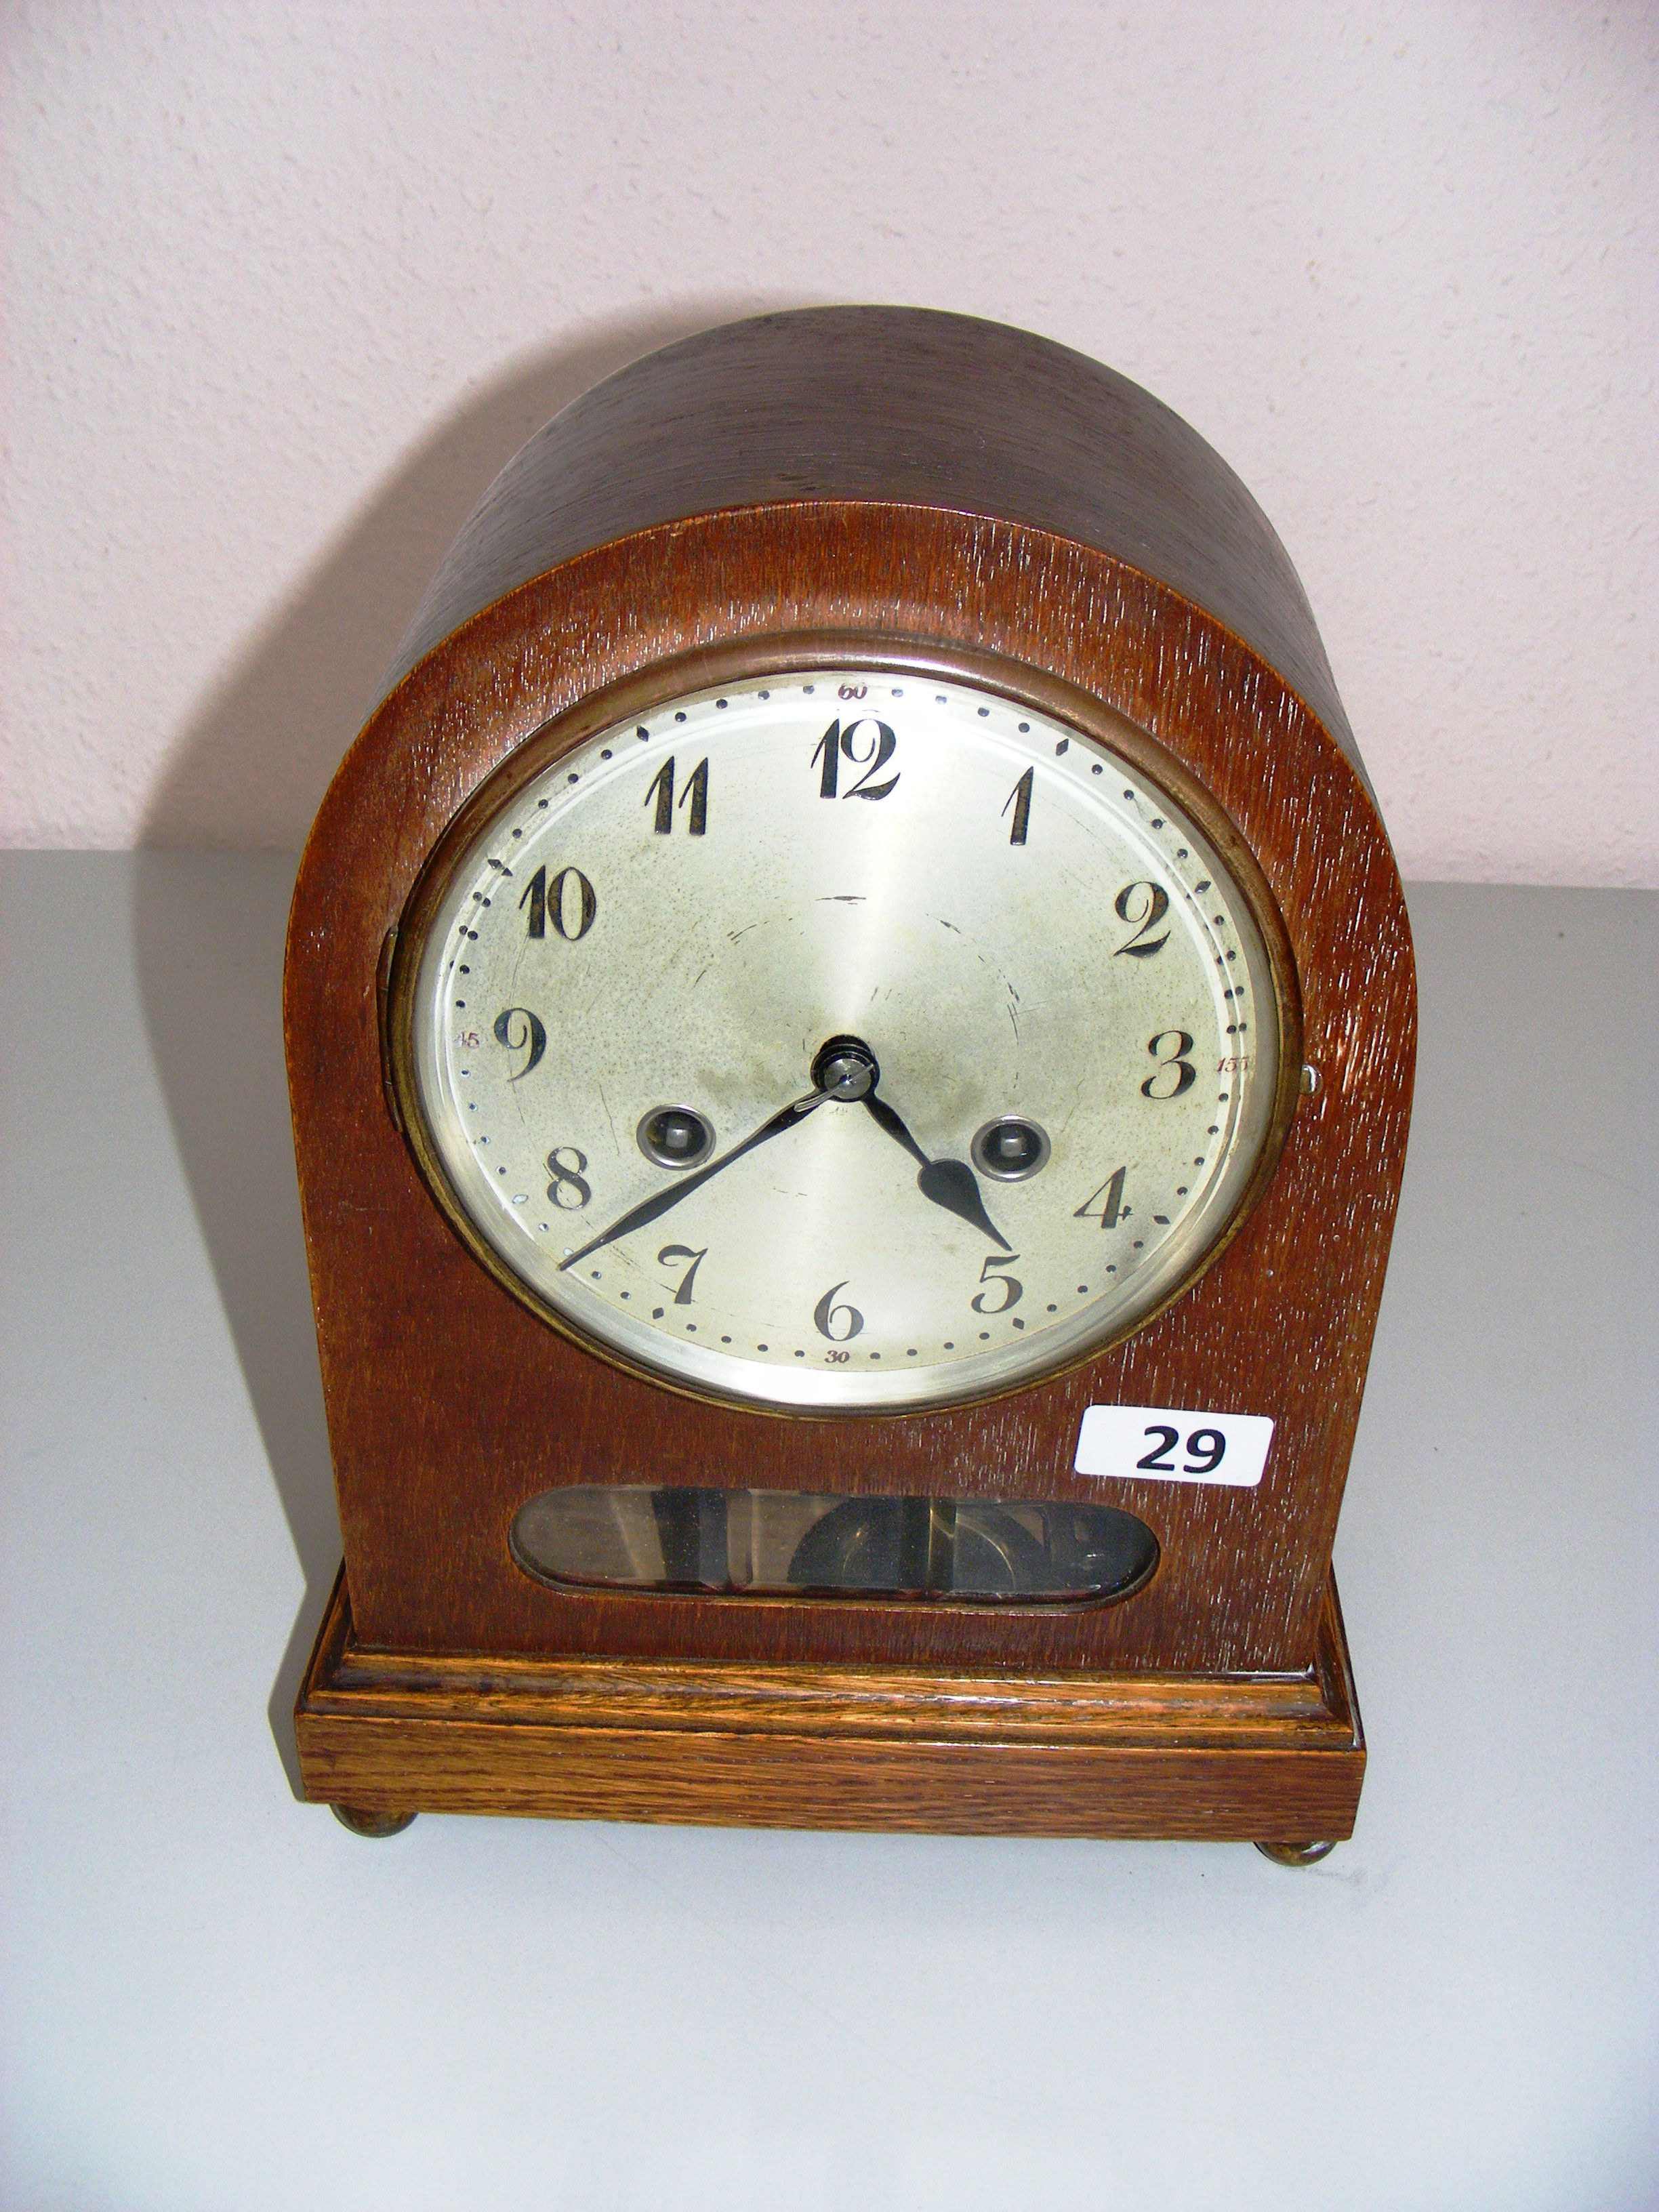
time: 4:38
